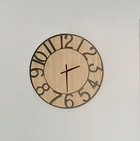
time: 2:30
